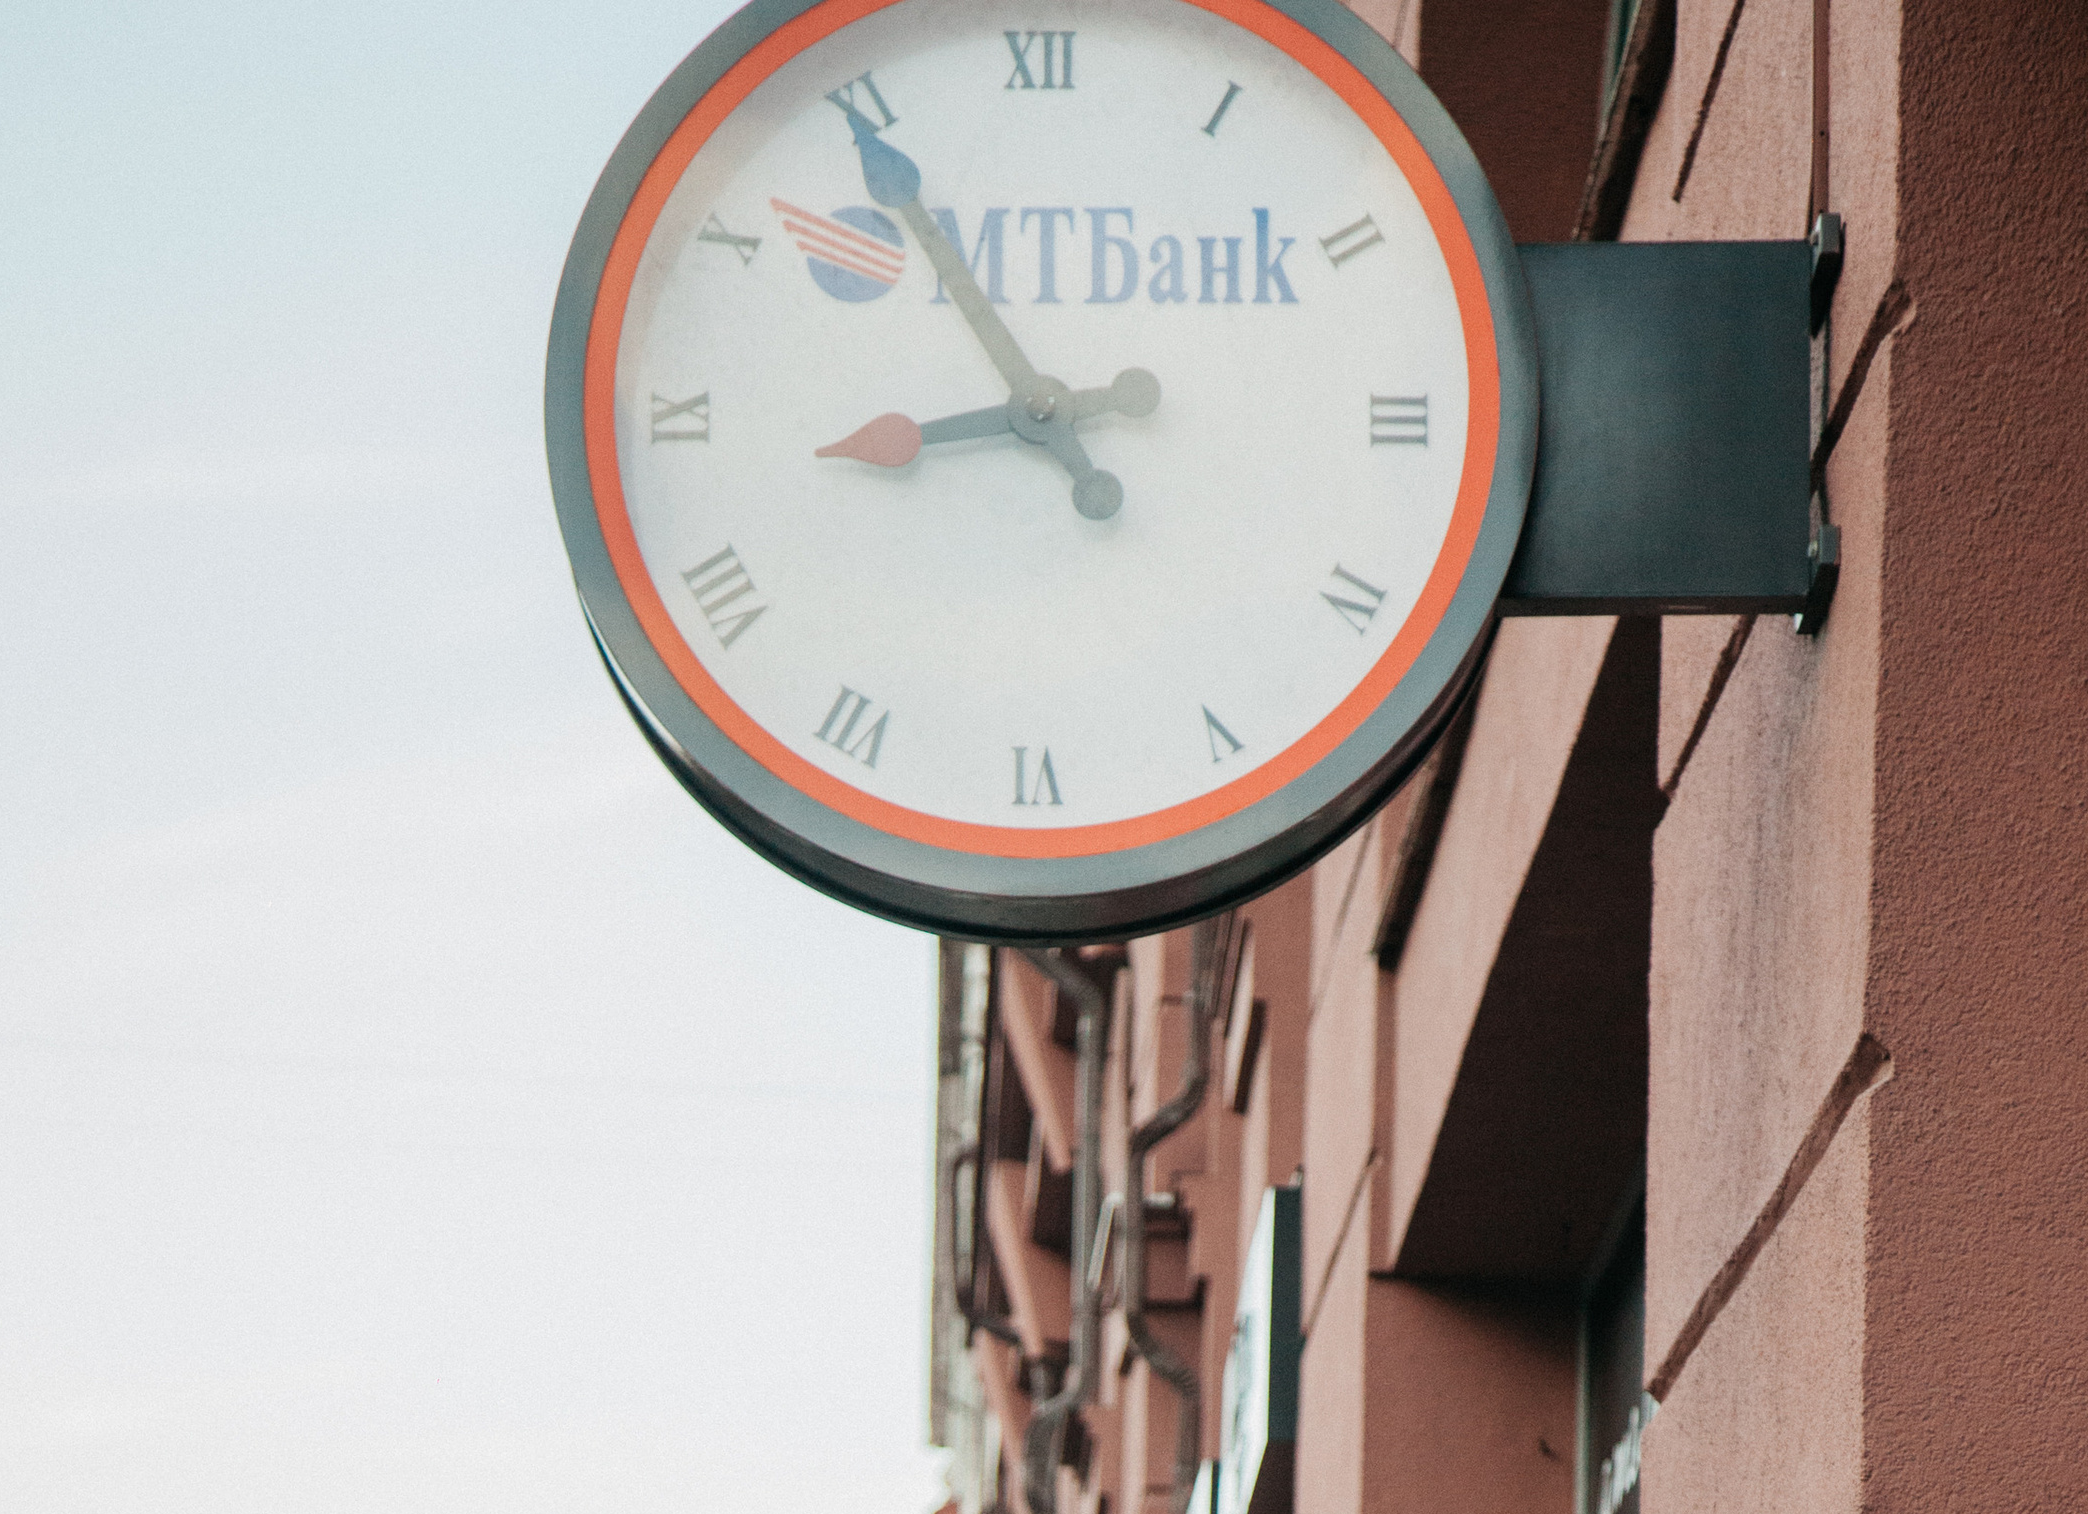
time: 8:54
